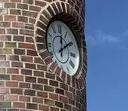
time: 12:09
